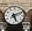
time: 5:11
